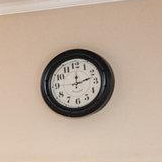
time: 12:12
